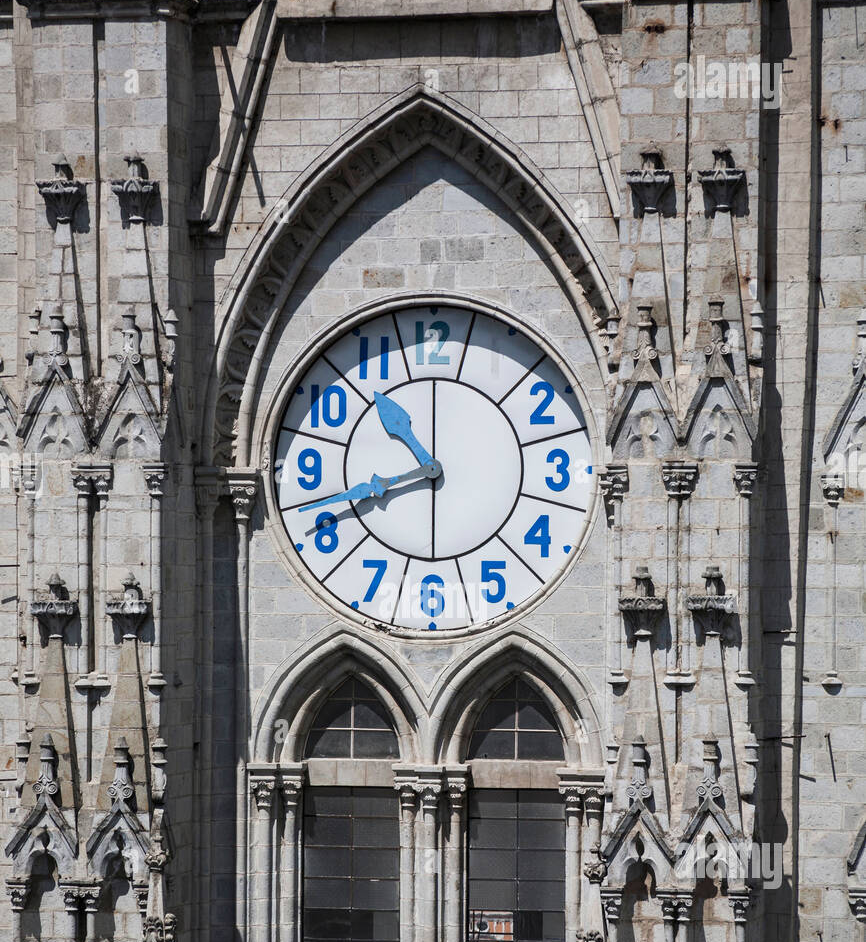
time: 10:41
